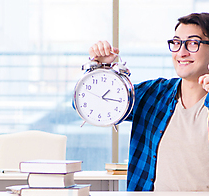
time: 1:15
